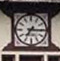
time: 7:15
